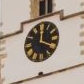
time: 12:19
